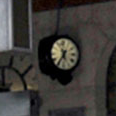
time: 11:35
